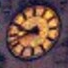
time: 9:42
